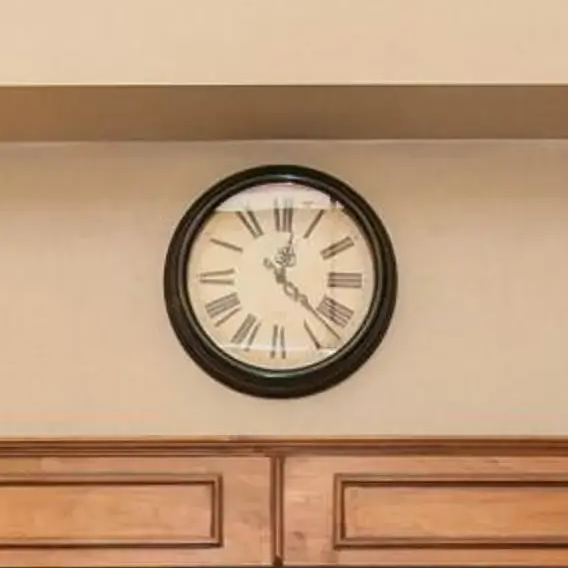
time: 12:22
